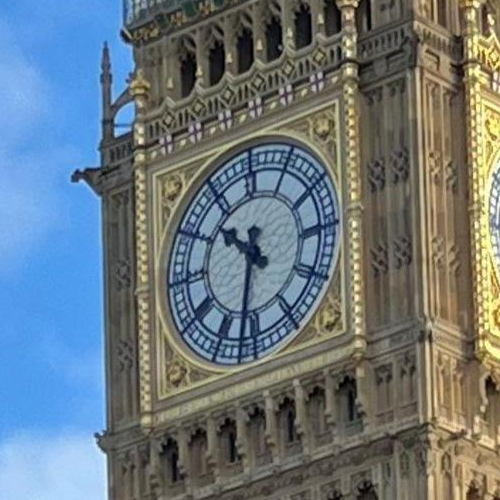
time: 10:32
